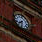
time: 7:32
